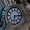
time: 6:14
